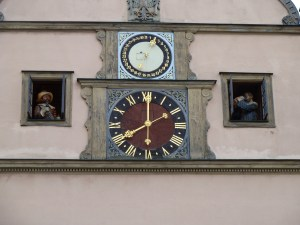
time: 8:00
